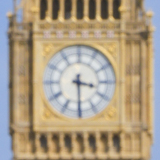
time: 3:29
